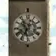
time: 10:34
